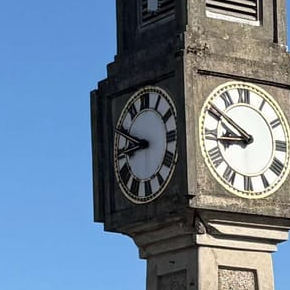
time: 8:49
